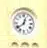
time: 12:38
